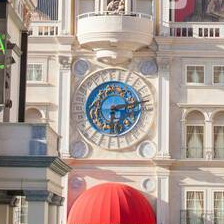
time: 6:13
